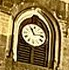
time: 11:13
